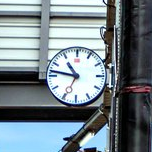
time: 10:46
